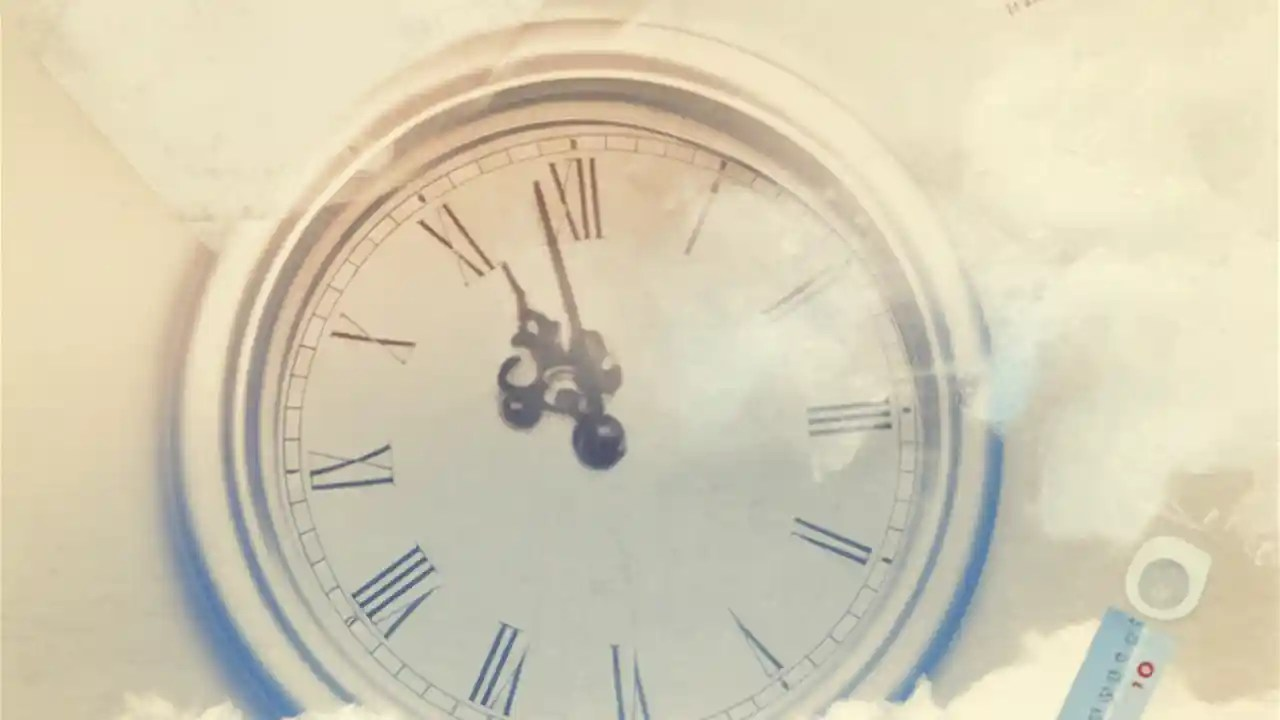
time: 10:58
